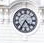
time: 4:35
